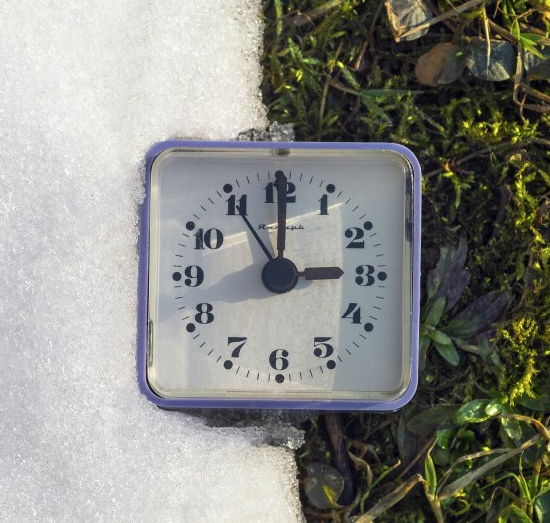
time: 2:59
